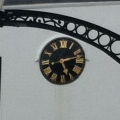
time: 5:12
